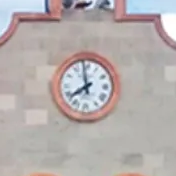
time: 7:58
